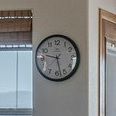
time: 9:27
